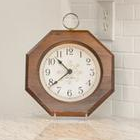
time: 10:38
